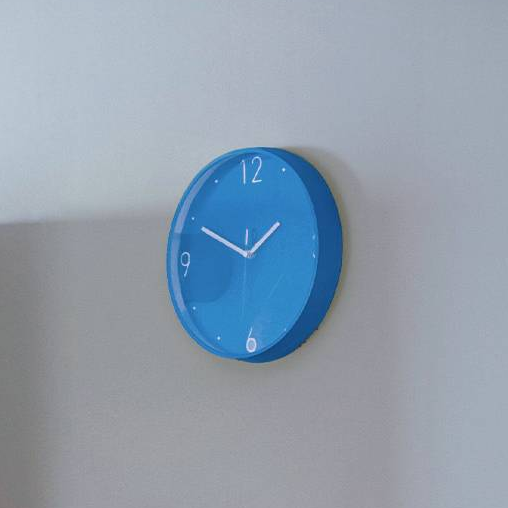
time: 1:49
